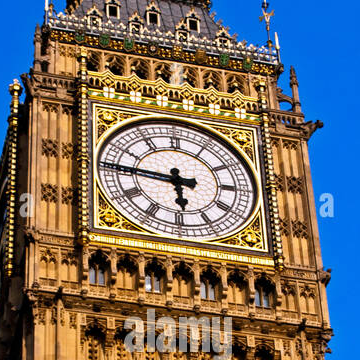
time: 5:45
